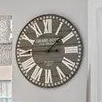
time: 1:44
